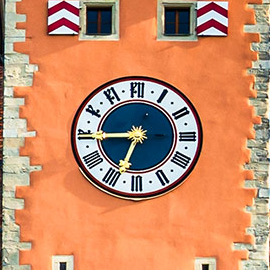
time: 6:44
